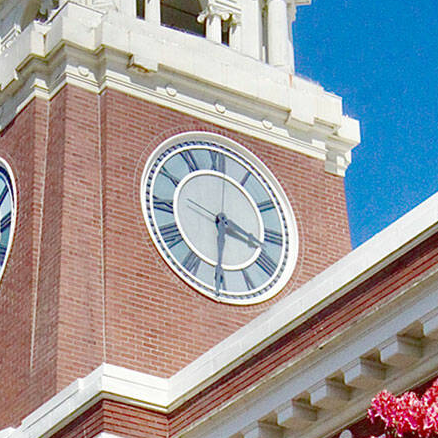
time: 3:30
